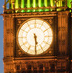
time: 5:29
